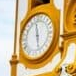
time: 11:26
